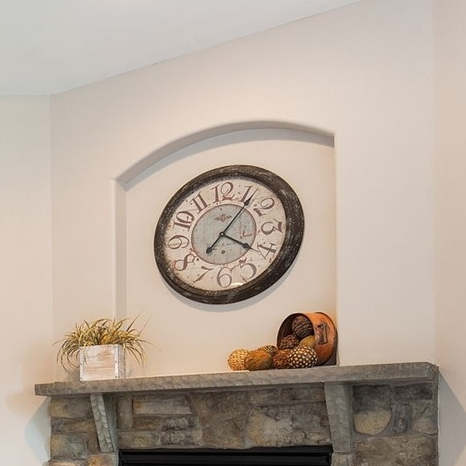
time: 4:06
